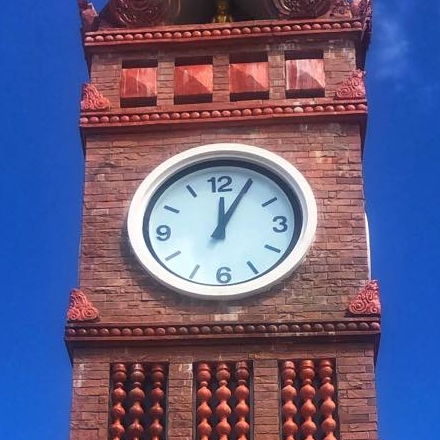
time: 12:04
